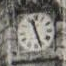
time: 11:26
